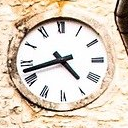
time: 4:42
